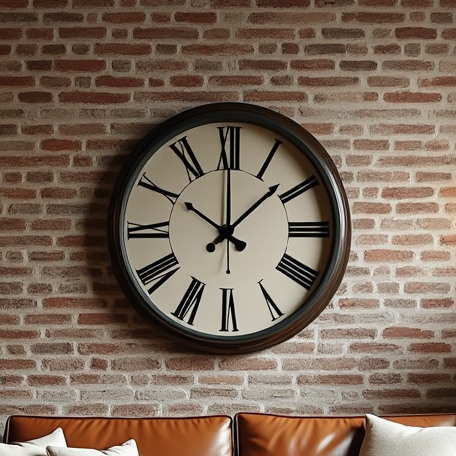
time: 10:07
